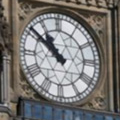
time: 10:51
